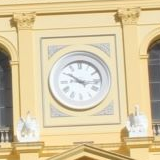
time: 10:15
